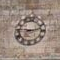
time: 9:12
